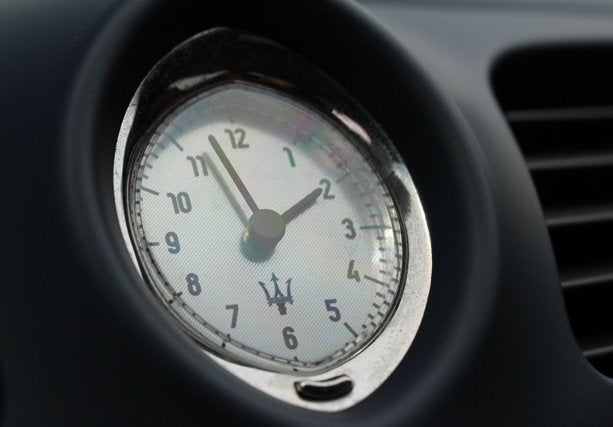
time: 1:57
